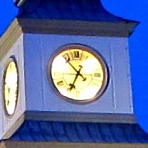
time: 6:53
